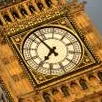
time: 6:52
